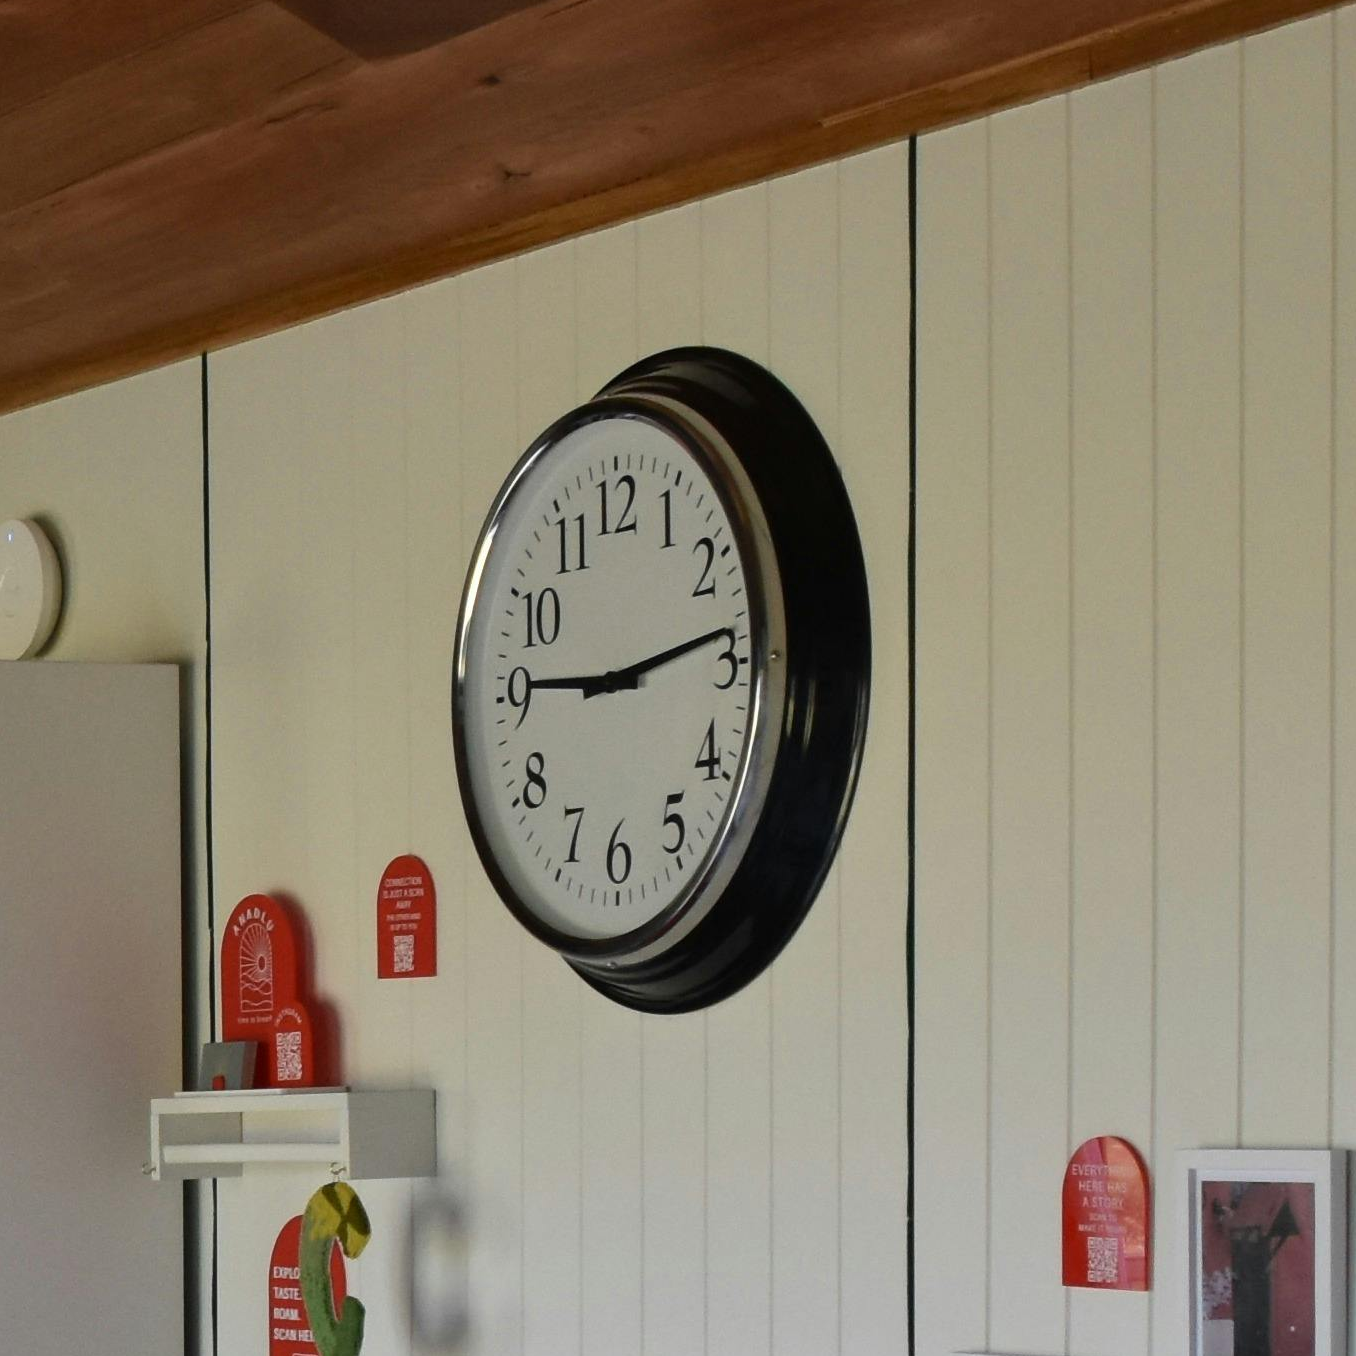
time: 9:13
